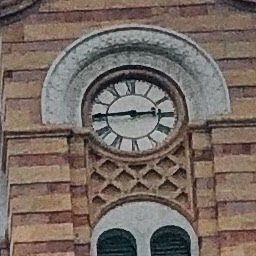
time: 2:44
